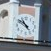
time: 10:51
